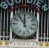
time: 11:53
